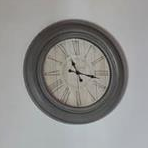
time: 11:17
